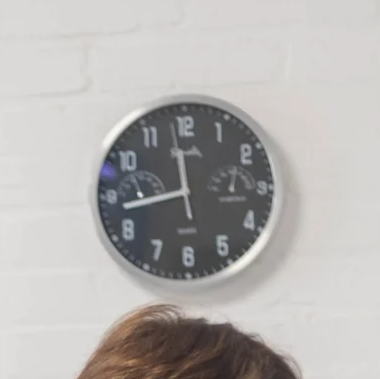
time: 11:43
